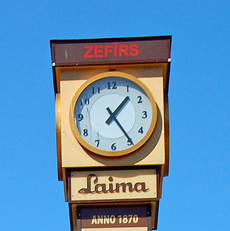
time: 1:24
